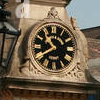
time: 10:39
